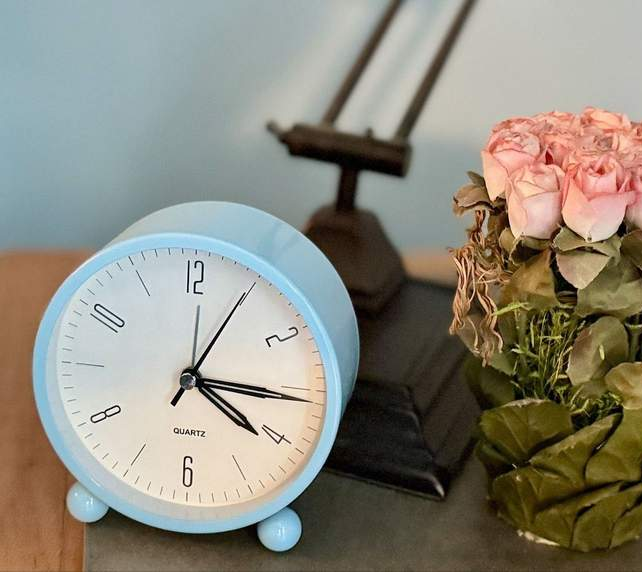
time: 4:15
